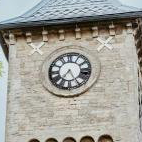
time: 7:25
